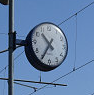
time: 10:34
